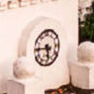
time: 5:45
